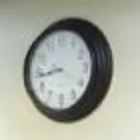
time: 8:43
